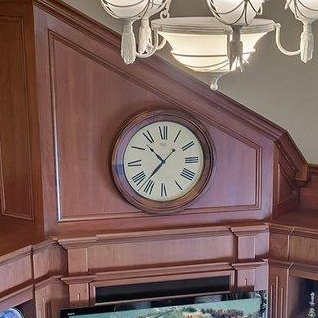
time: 10:37
